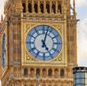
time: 5:02
